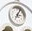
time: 7:04
